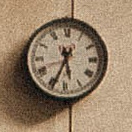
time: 5:33
